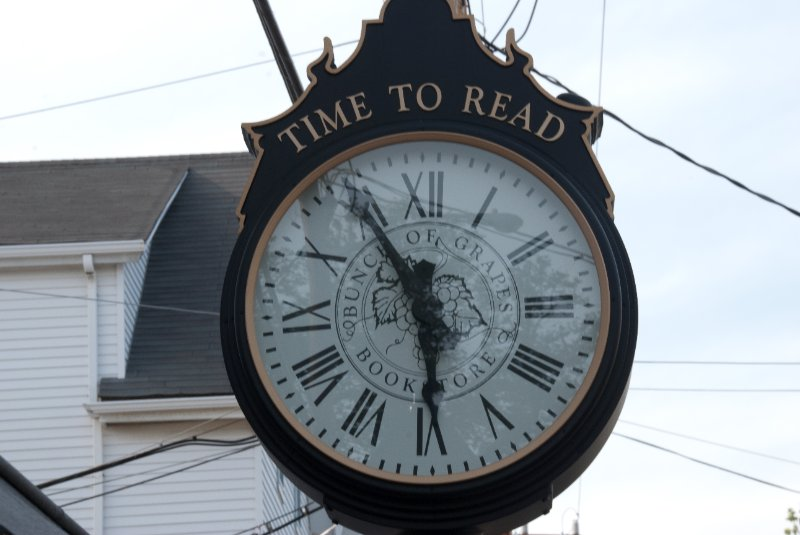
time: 5:55
